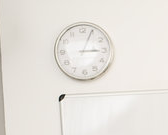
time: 3:04
